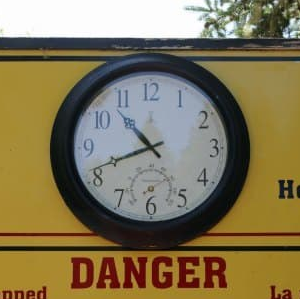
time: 10:41
